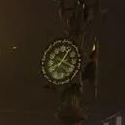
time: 1:18
